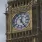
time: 12:24
